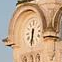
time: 6:32
